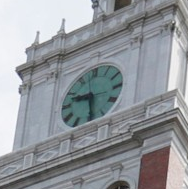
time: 9:28
